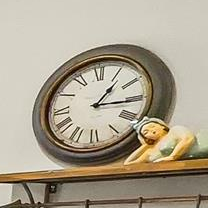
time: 1:15
